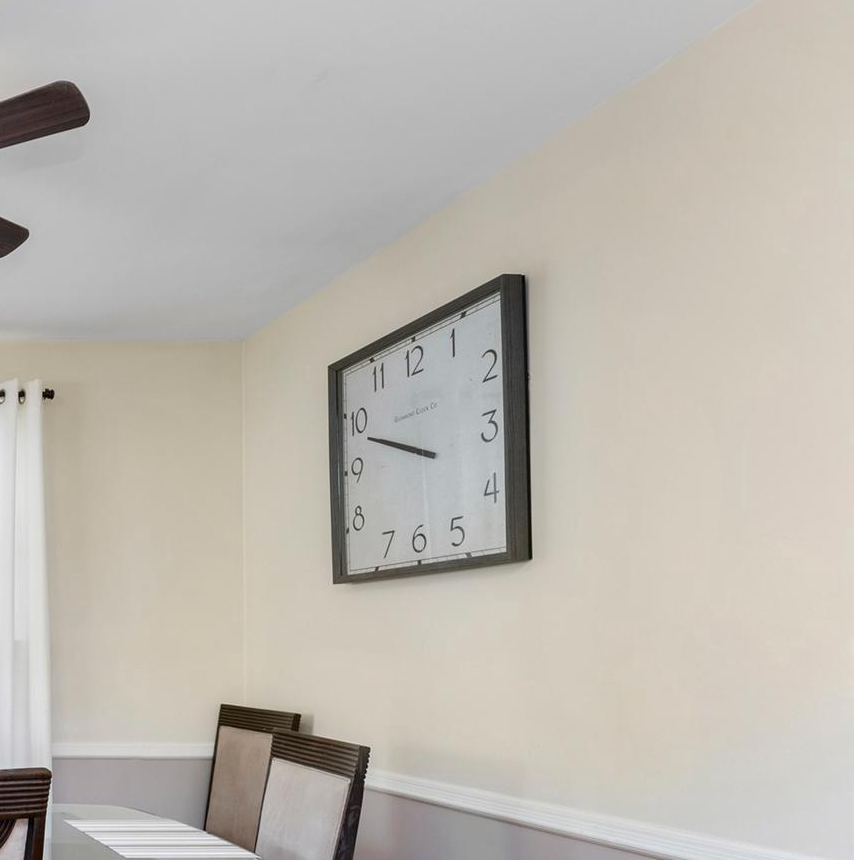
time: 9:48
